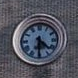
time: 4:30
